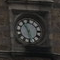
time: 5:54
